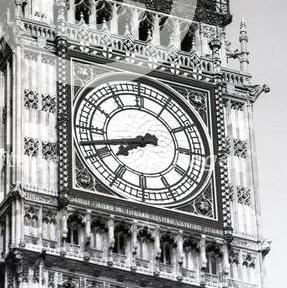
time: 7:42
